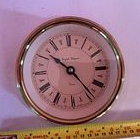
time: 10:23
